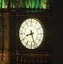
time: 8:26
